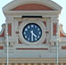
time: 4:29
